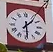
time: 1:29
